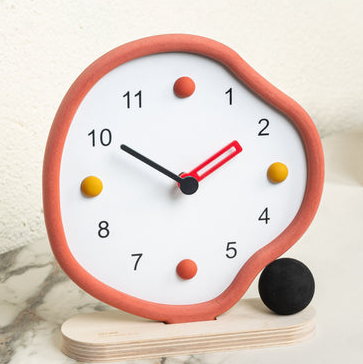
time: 1:50
